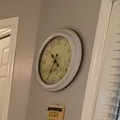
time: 10:34
